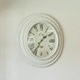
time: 1:36
